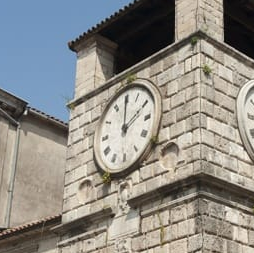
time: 2:00
